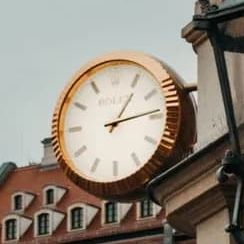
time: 1:13
